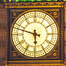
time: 5:47
